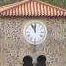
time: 11:55
